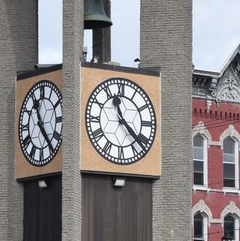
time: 11:22
